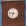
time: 9:33
